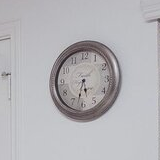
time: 5:32
